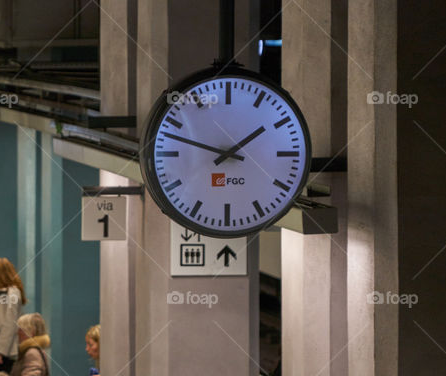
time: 1:47
